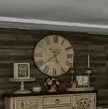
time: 5:38
